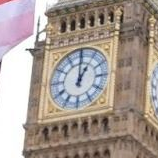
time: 1:00
